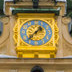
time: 1:37
